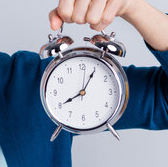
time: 8:05
